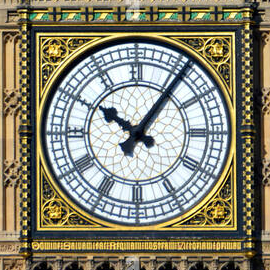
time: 10:06
